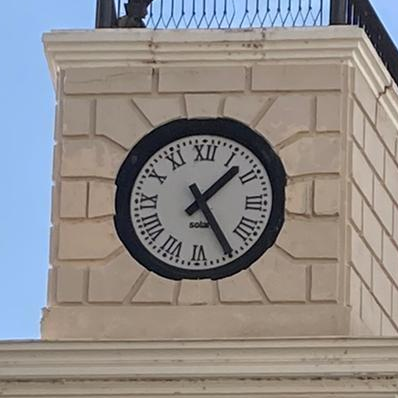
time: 1:24
